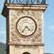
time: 4:35
